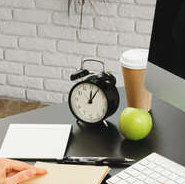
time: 12:05
